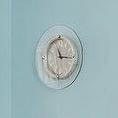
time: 11:16
